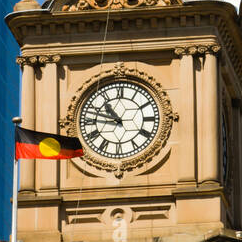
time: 10:47
